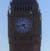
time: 4:42
